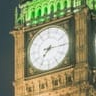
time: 7:15
